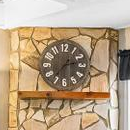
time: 2:37
